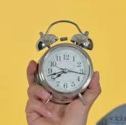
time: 8:16
